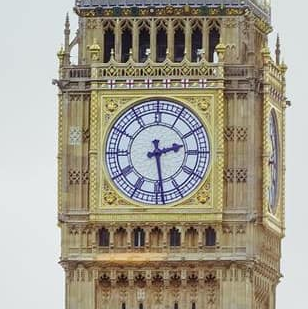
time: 2:28
